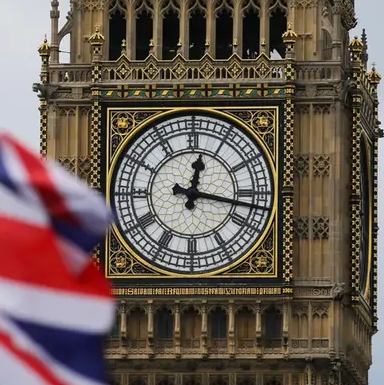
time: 12:17
